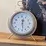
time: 12:28
